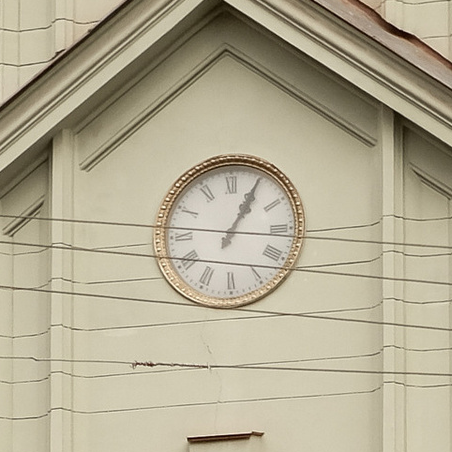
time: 1:04
